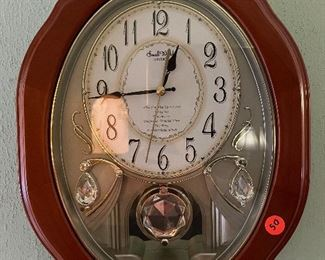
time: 12:44
